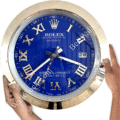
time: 3:38
